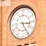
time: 3:25
